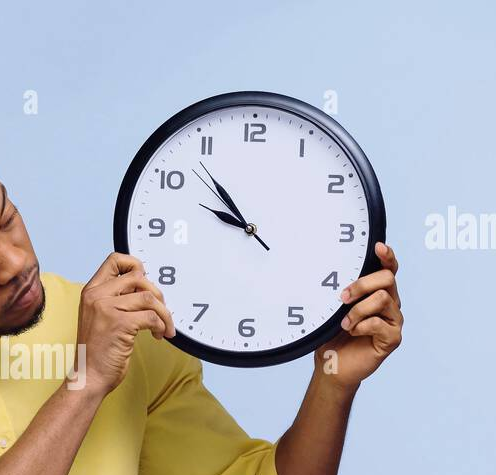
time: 9:53
